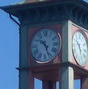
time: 10:26
